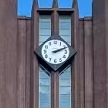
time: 2:11
